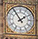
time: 1:54
